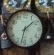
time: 1:32
